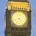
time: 4:42
